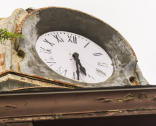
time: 5:30
